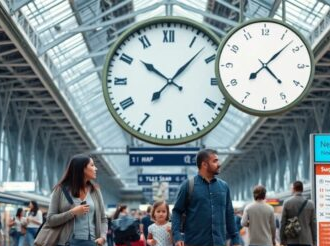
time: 10:07
